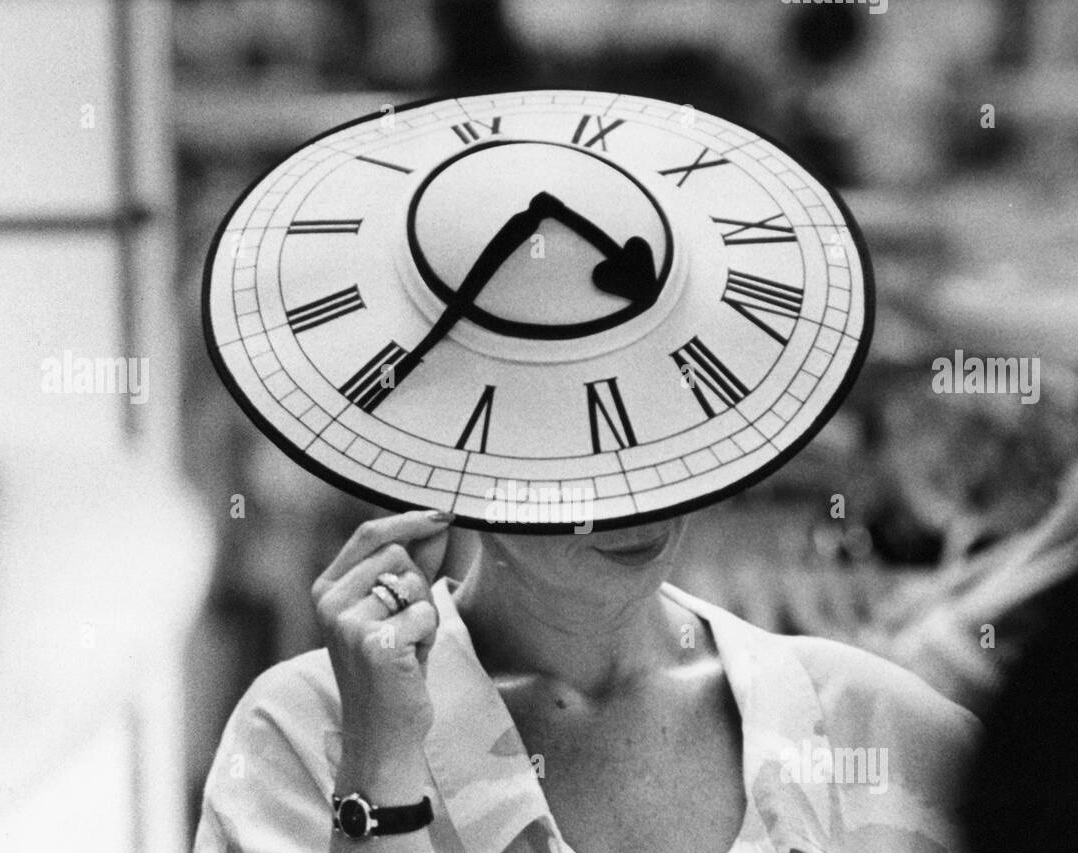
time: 4:34
